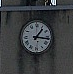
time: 1:16
